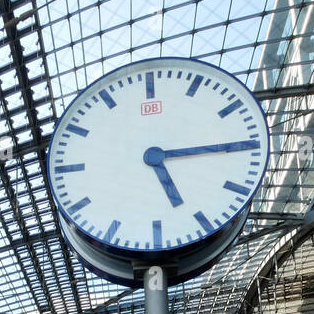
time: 5:15
